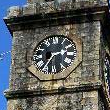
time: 2:35
